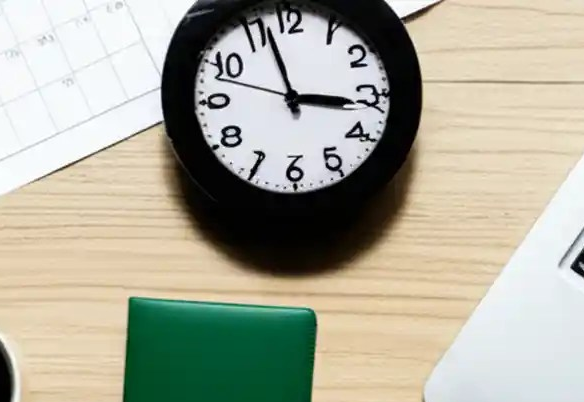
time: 2:56
